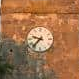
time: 9:37
